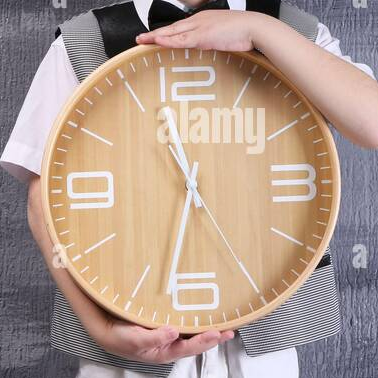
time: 11:32
